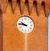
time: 9:45
